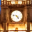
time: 4:46
